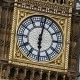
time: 6:01
